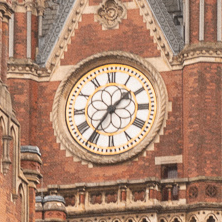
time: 1:36
